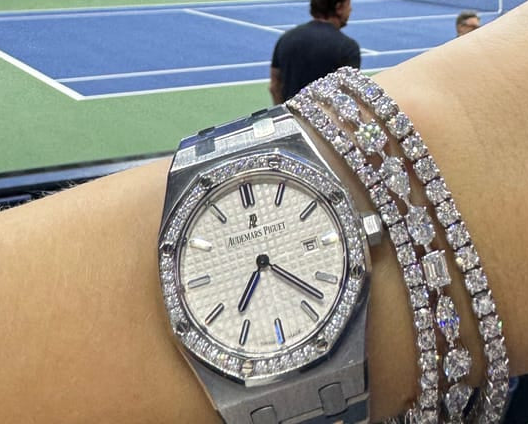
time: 7:22
